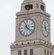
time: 11:21
